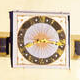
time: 8:16
